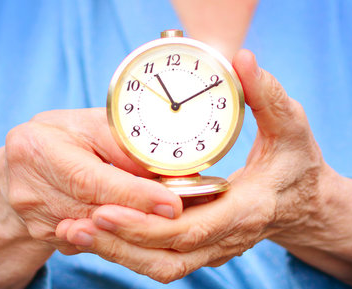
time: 11:10
